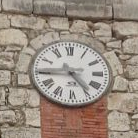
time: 4:45
